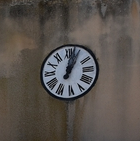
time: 1:02
